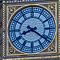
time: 8:21
